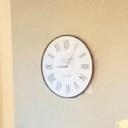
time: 9:05
